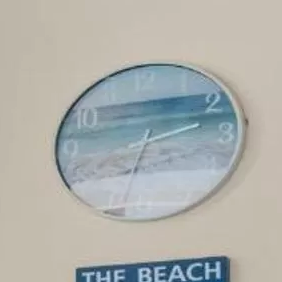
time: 2:33
